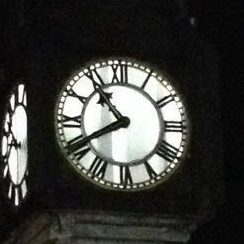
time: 10:40
